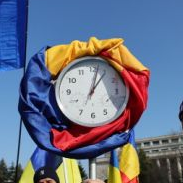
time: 1:02
